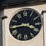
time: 3:43
